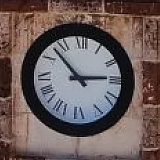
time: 2:52
